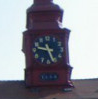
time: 9:26
